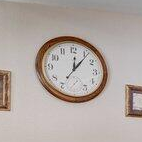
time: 12:06
